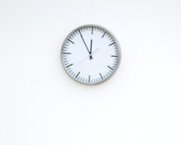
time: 11:54
